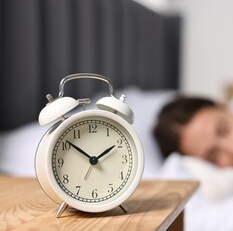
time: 1:51
